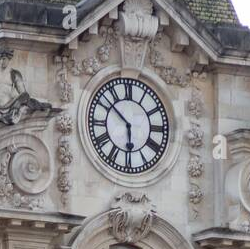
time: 5:51
